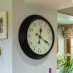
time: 12:19
